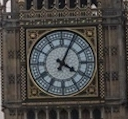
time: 4:04
